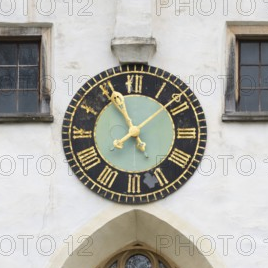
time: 7:55
